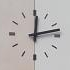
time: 12:12
